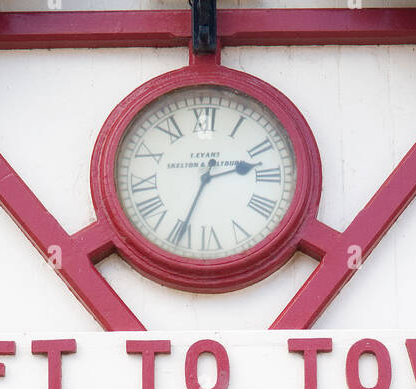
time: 2:33
